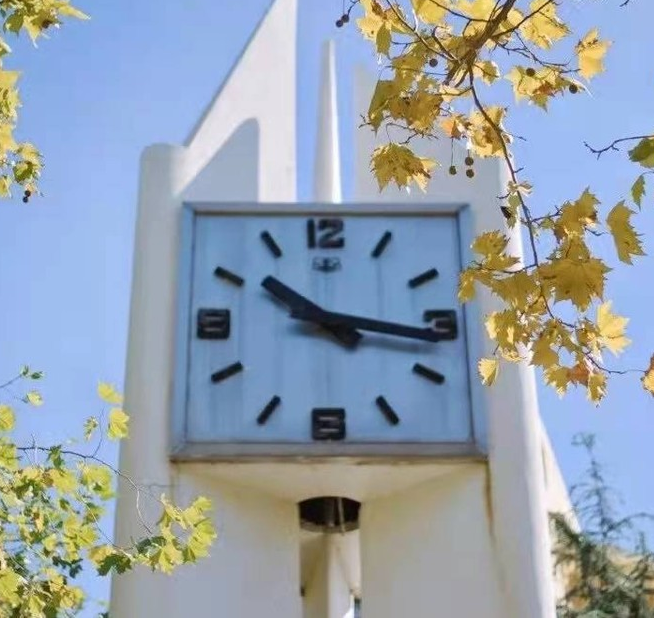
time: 10:16
